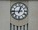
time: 12:44
